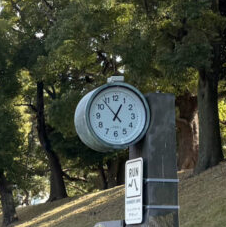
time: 12:53
